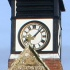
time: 8:07
